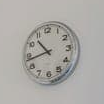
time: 10:43
